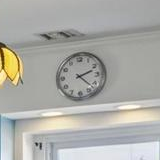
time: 2:22
